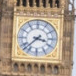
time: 3:37
